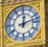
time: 12:12
